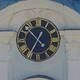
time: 12:34
